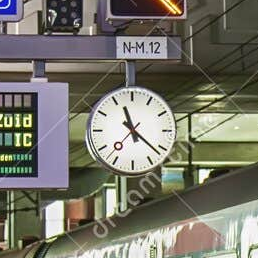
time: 11:21
